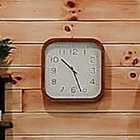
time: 10:26
